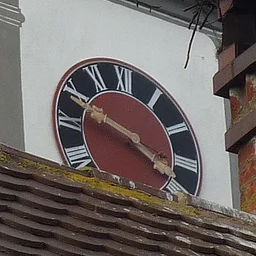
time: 3:48
